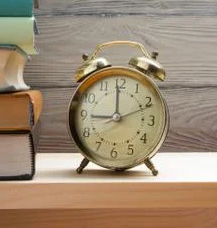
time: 8:59
